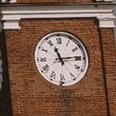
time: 11:13
